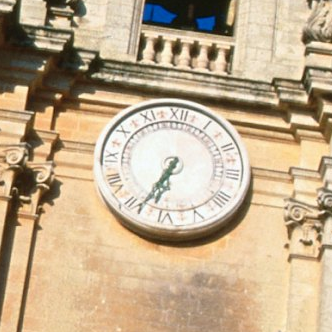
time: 6:34
